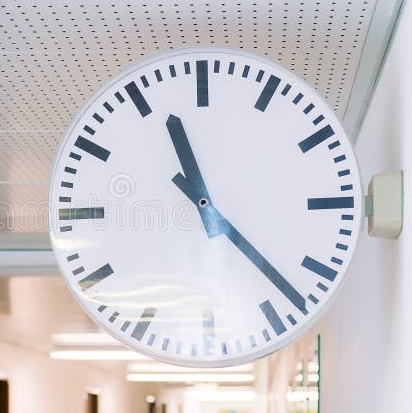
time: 11:22
